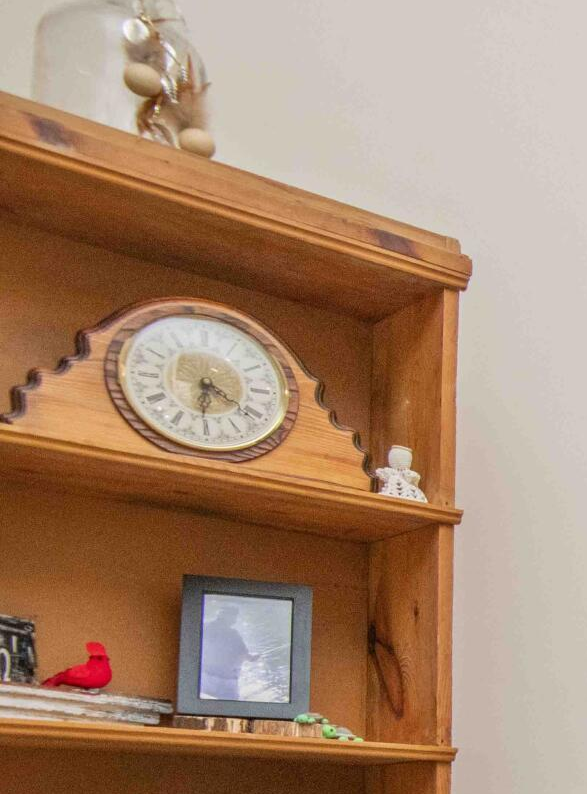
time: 6:21
